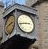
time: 2:42
